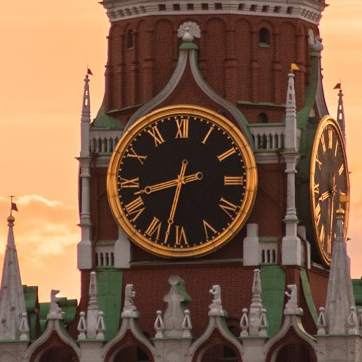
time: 8:32
